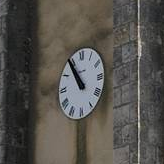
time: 10:54
